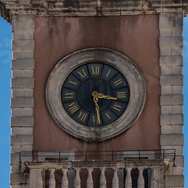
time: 3:28
